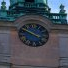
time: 3:48
